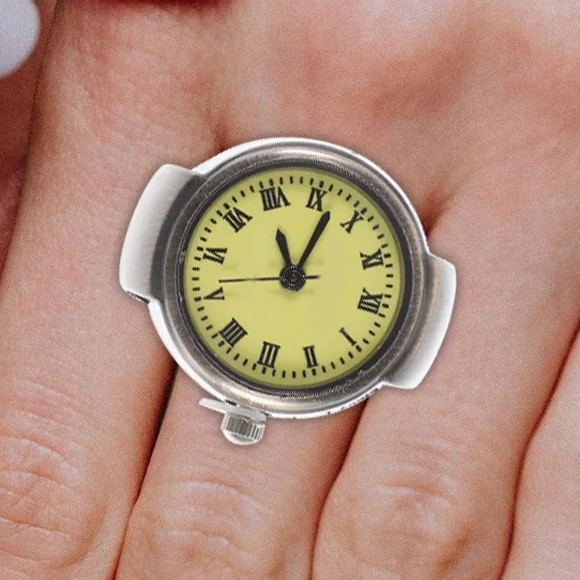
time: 12:07
